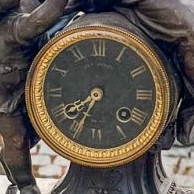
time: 7:34
